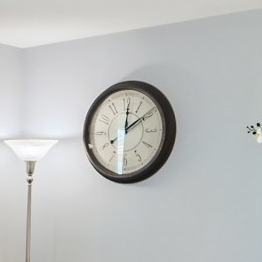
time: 12:09
